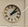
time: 2:06
